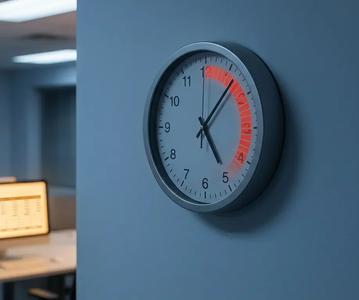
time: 5:06
